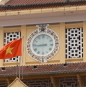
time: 8:44
